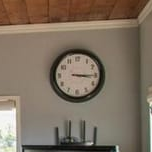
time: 3:15
